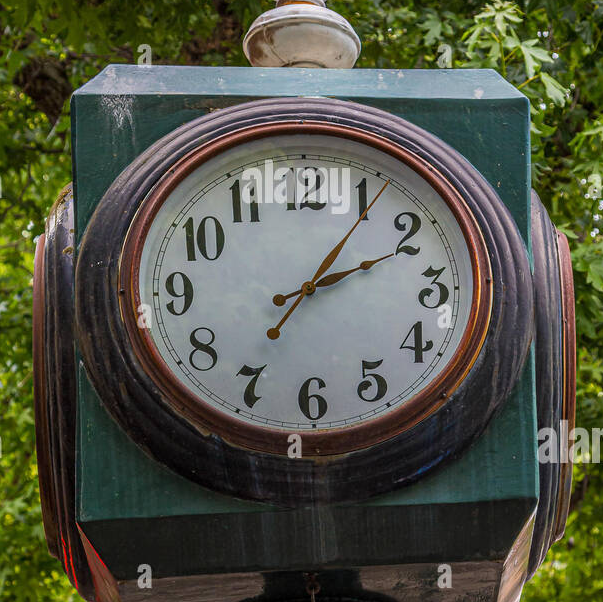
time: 2:06
